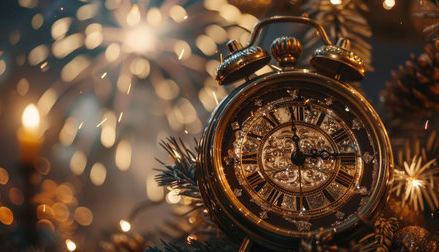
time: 2:59
